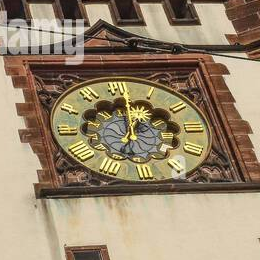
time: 7:01
